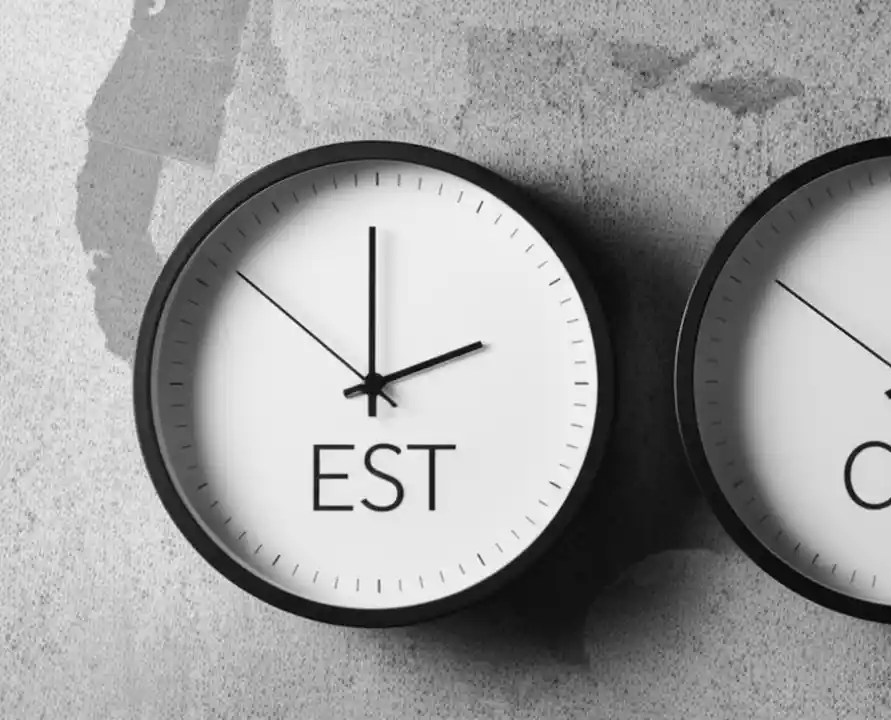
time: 1:59
